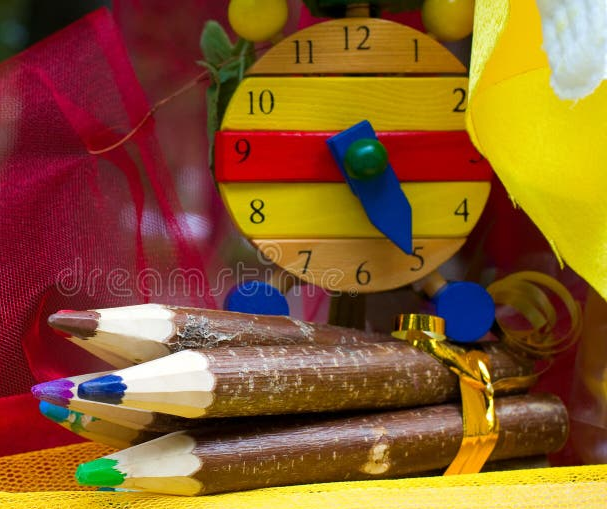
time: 5:14
